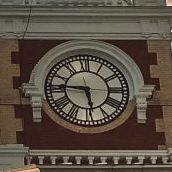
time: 5:45
